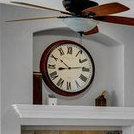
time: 10:13
